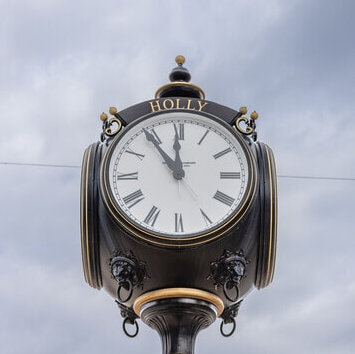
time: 11:53
